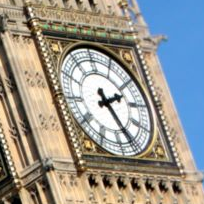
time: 2:25
